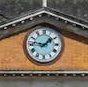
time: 1:46
